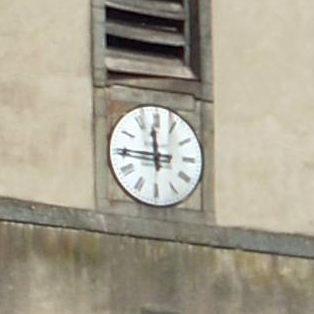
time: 11:45
